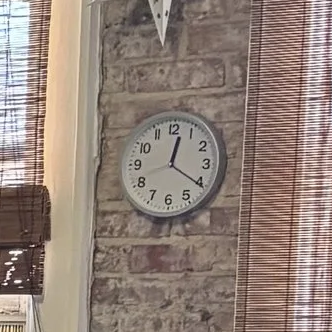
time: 12:20
